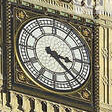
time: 3:22
